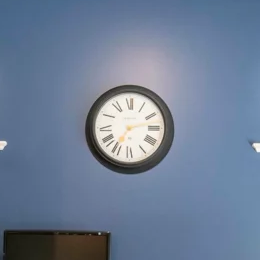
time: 7:12
